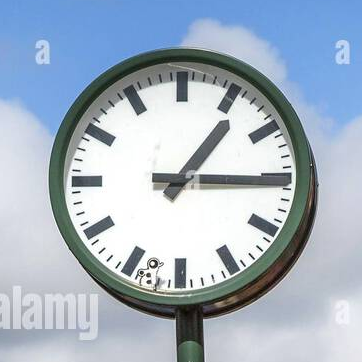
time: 1:15
